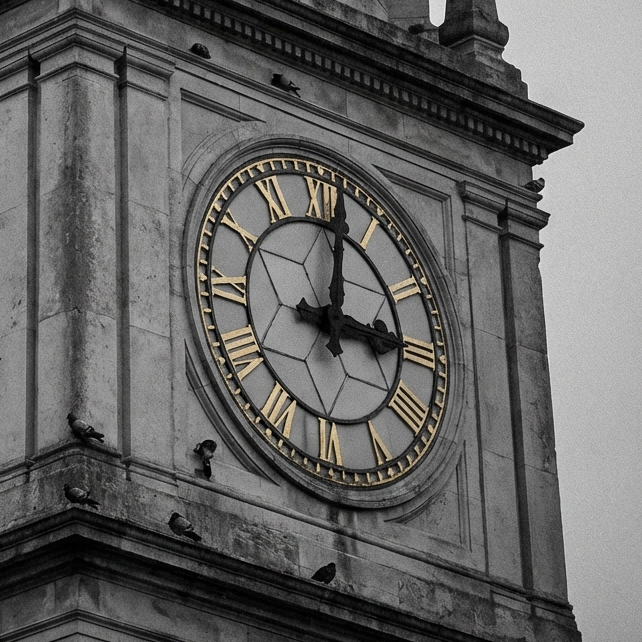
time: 3:01
